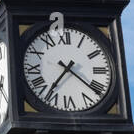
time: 7:21
